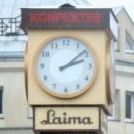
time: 2:08
